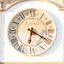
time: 6:20
